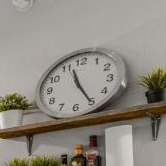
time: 11:25
